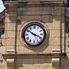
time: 3:50
